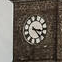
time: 3:23
